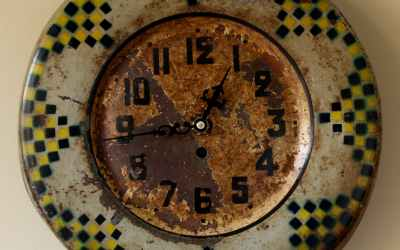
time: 12:44
